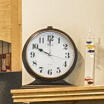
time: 10:00
